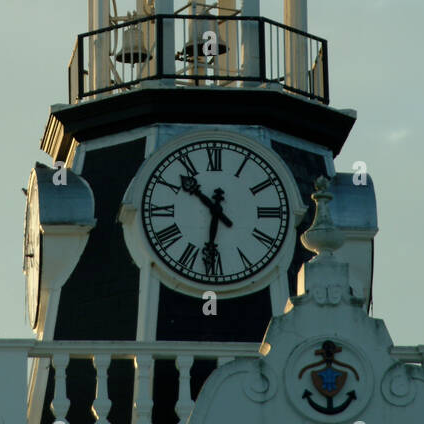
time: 10:31
